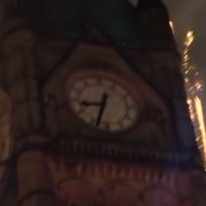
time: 8:33
